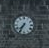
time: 7:35
